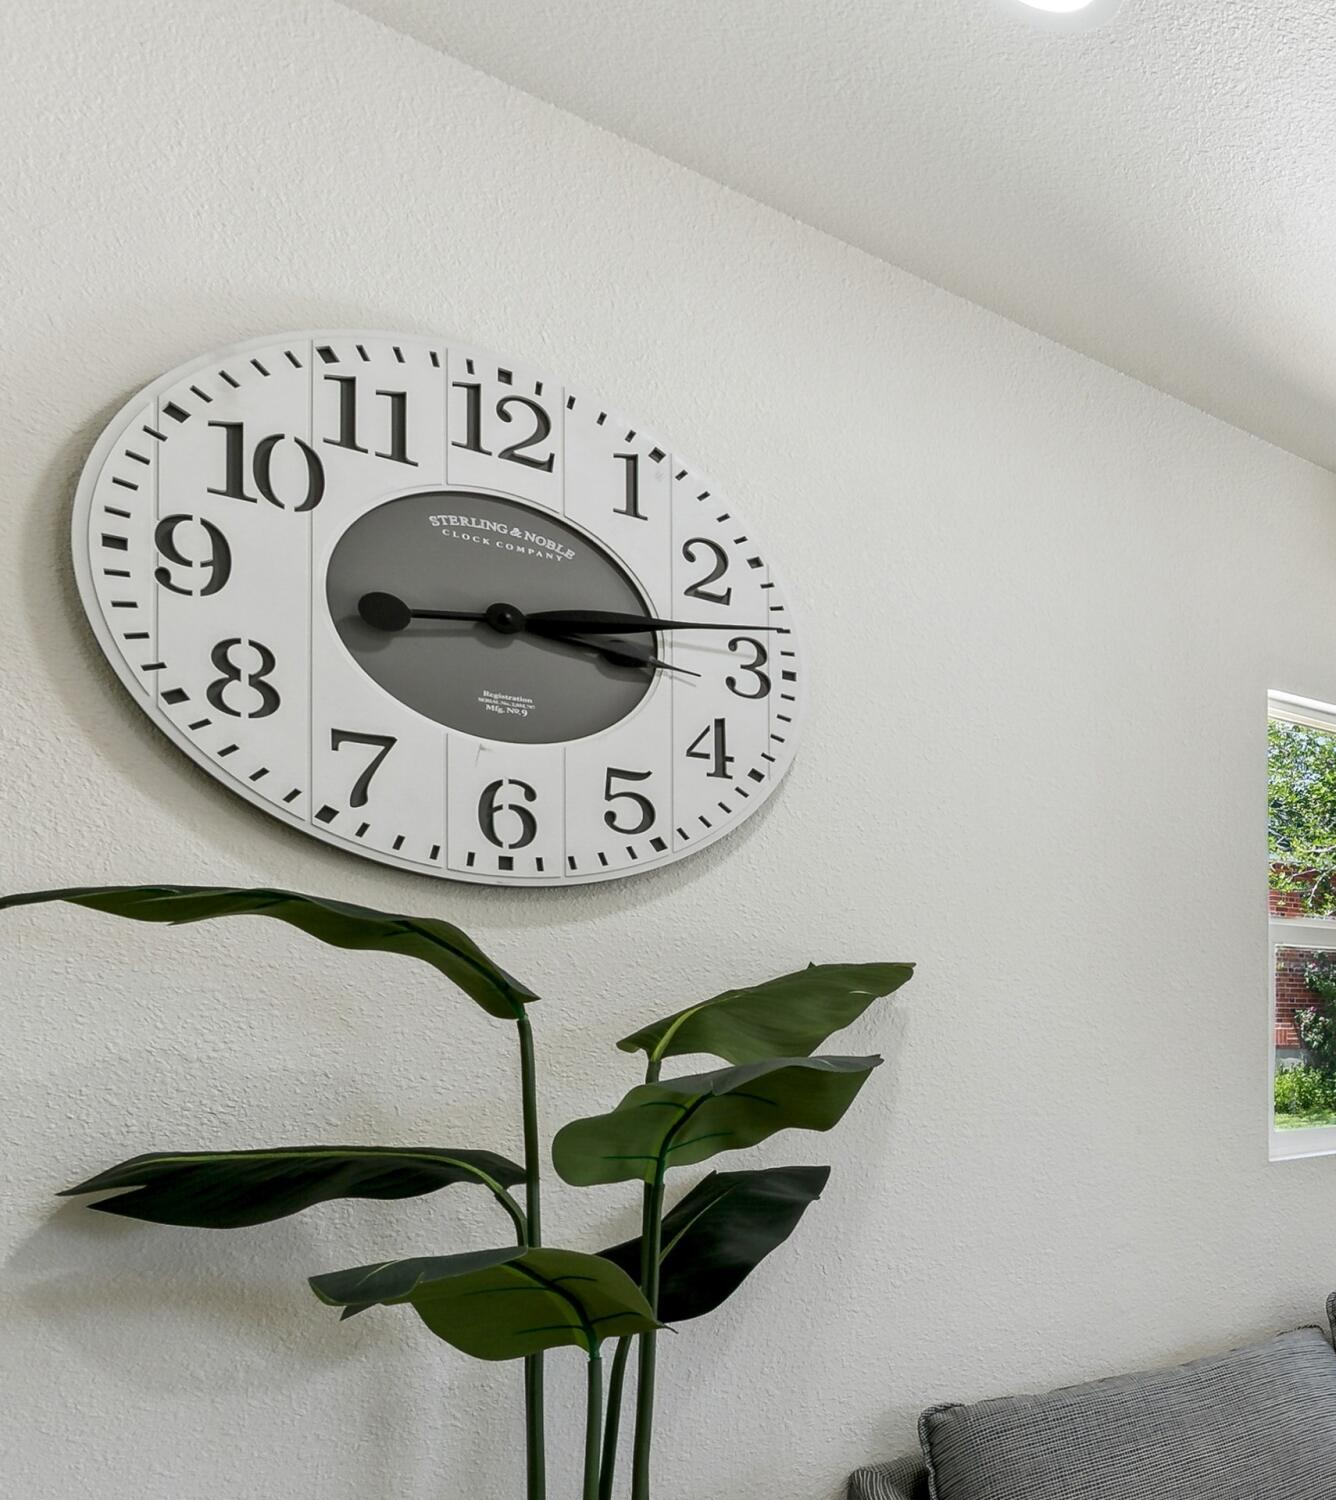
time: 3:13
